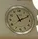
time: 11:10
